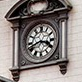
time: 3:41
